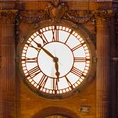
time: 5:51
